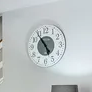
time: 4:54
